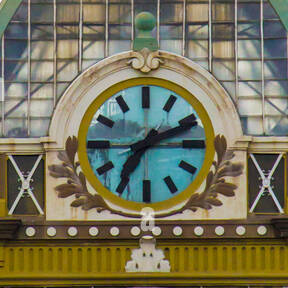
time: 7:11
